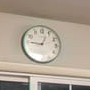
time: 12:45
